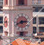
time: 2:40
